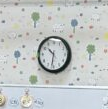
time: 10:31
